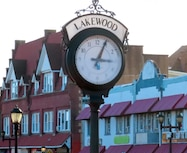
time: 3:04
